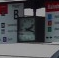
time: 2:18
